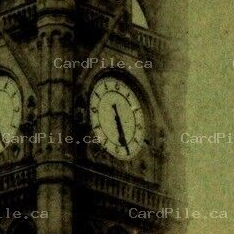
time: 5:26
